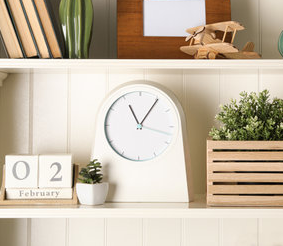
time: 11:05
